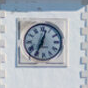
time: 12:34
